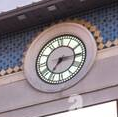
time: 7:15
